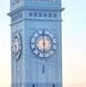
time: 5:59
